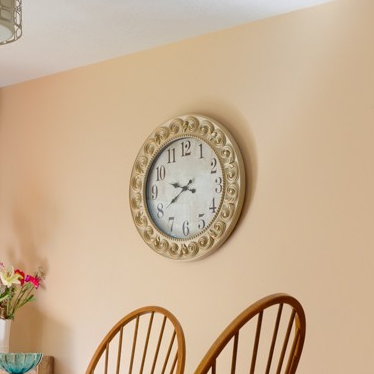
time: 9:39
